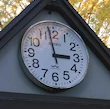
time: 2:58
